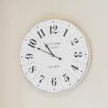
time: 10:49
